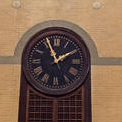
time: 1:56
